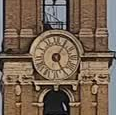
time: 5:05
